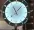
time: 11:07
